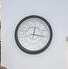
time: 12:16
